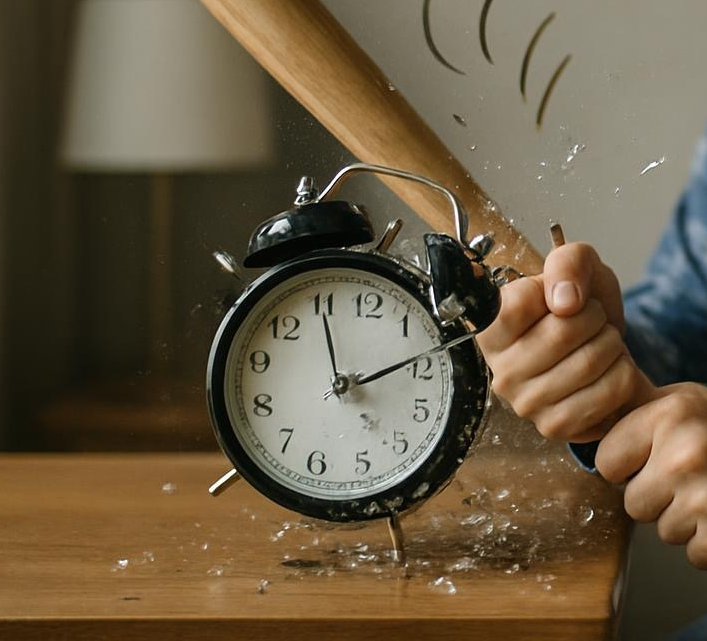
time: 1:55
